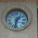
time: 1:32
